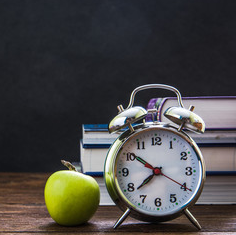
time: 7:51
